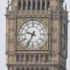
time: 9:34
